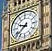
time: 9:38
